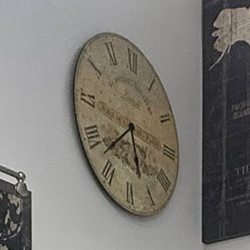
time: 5:37
